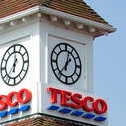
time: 12:36
